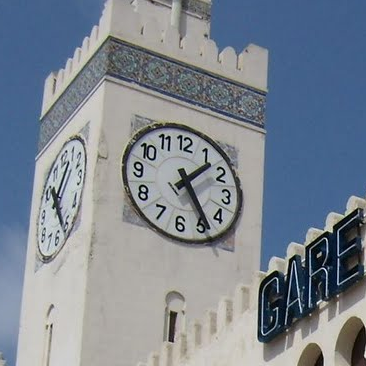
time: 1:24
